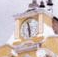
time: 11:28
